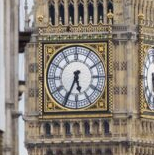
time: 5:34
